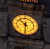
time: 10:31
